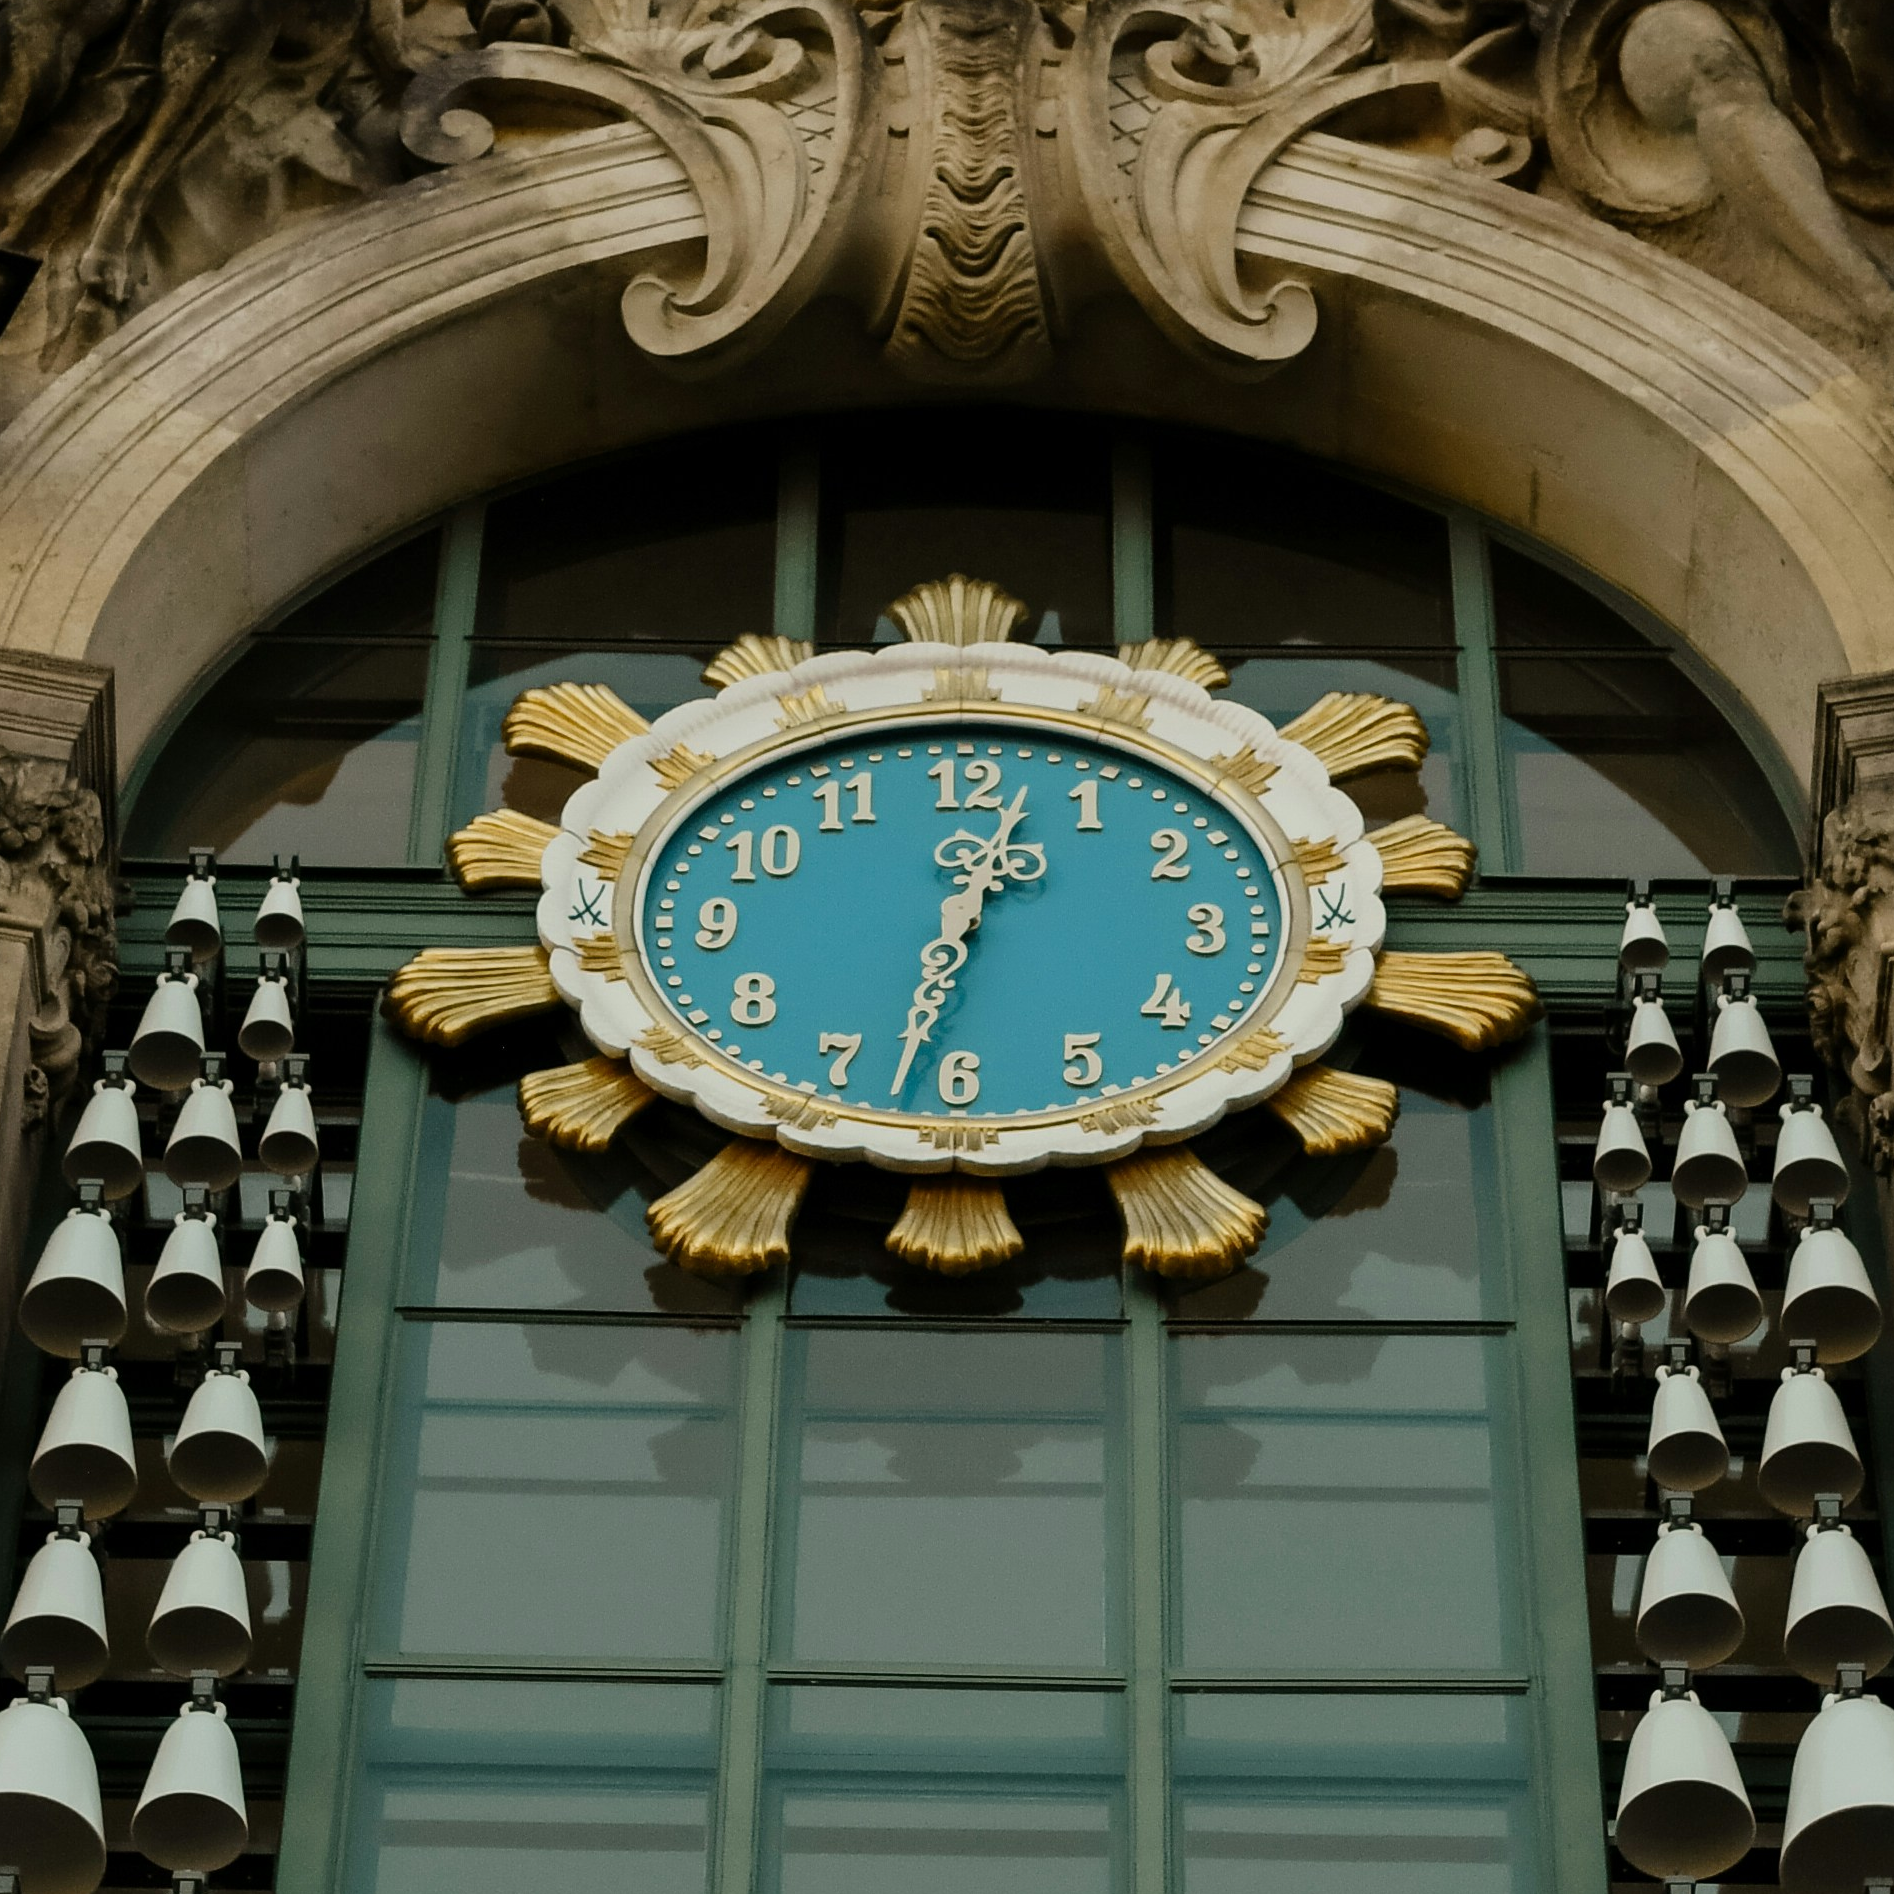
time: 12:32
